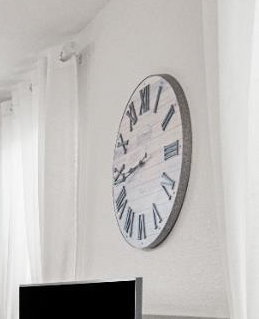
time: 8:44
